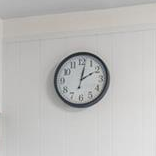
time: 2:01
